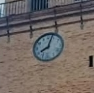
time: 8:03
